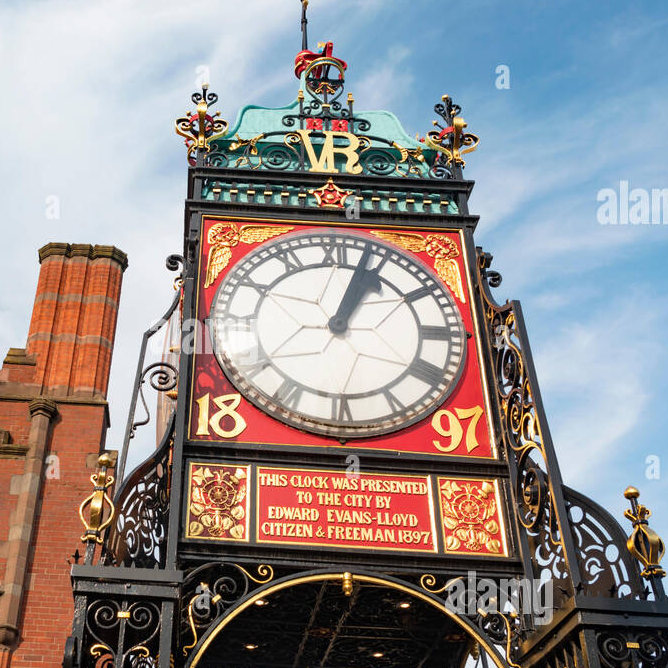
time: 1:03
